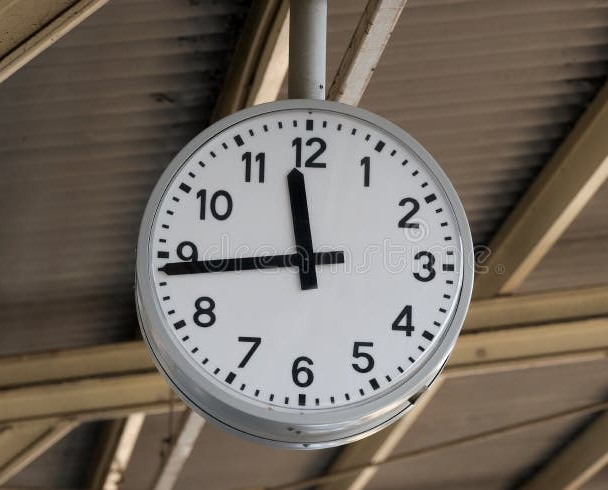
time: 11:43
